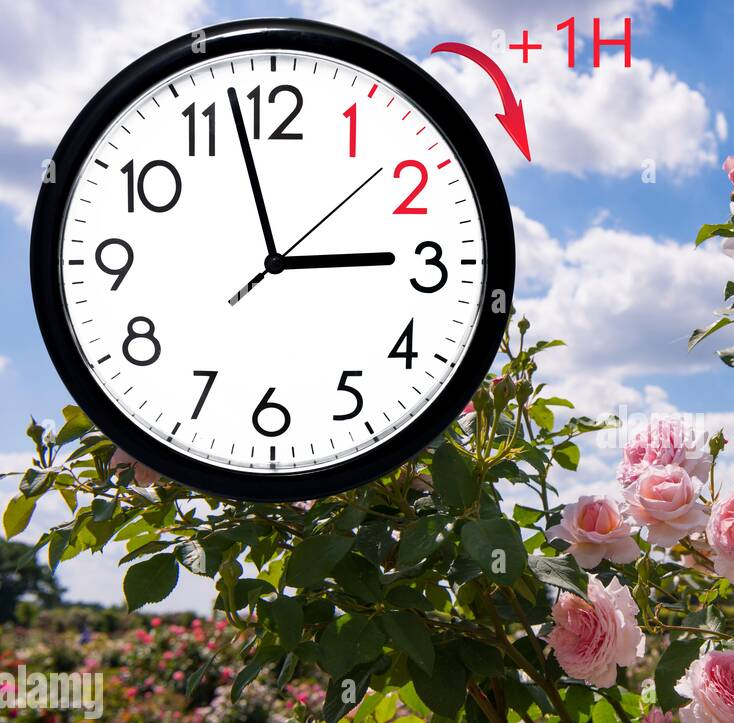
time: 2:57
